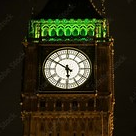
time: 5:50
